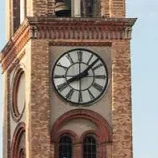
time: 8:07
